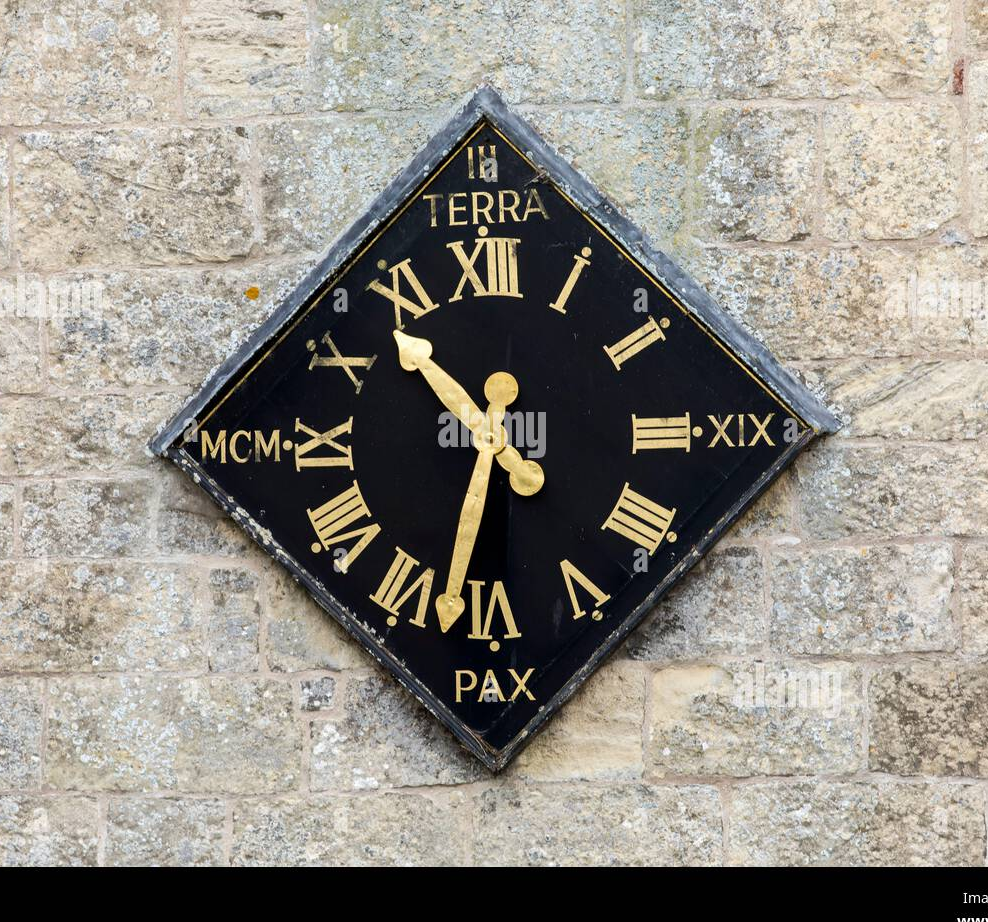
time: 10:32
